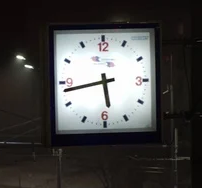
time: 5:42
